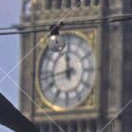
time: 11:43
